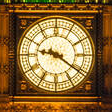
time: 9:20
